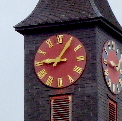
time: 9:05
